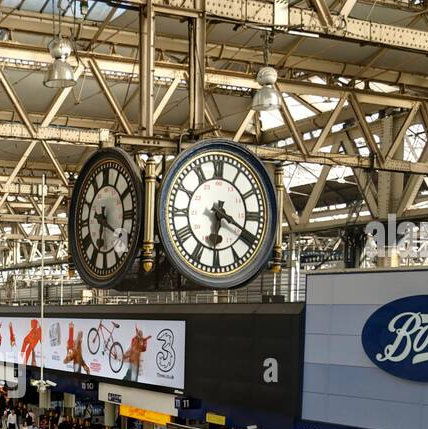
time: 6:19
